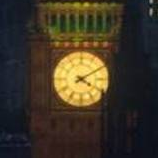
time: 4:09
